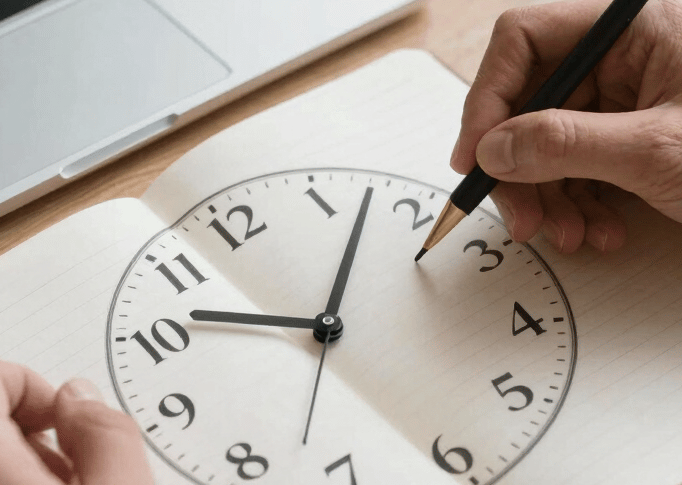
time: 10:07
